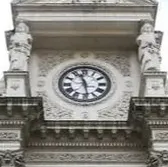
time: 11:28
